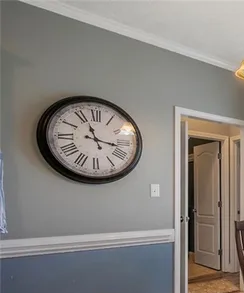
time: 11:16
